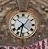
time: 7:32
